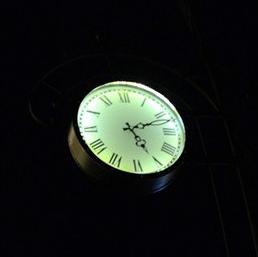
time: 5:11
